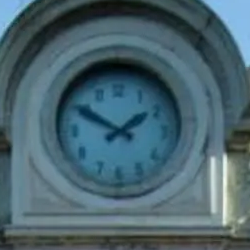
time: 1:50
